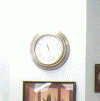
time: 11:27
